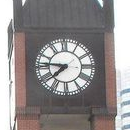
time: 7:46
